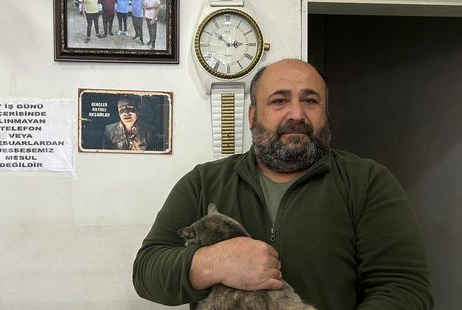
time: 10:15
